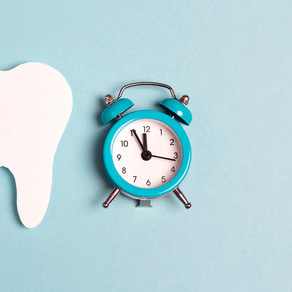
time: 11:55
